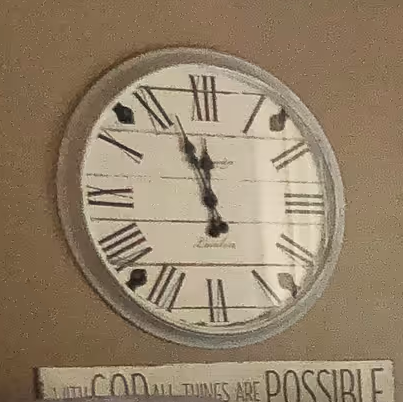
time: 11:56
